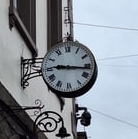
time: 9:16
